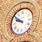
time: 9:51
